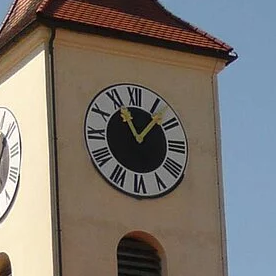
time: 11:07
